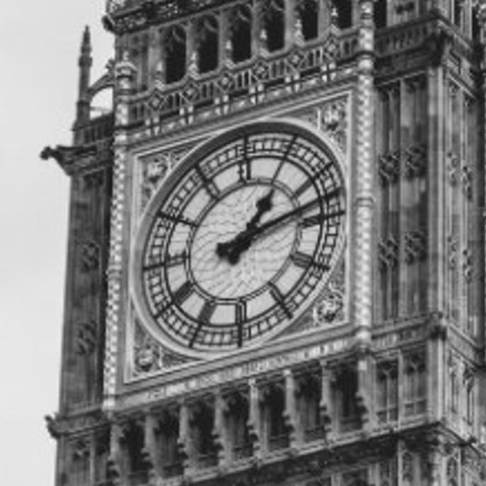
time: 1:12
